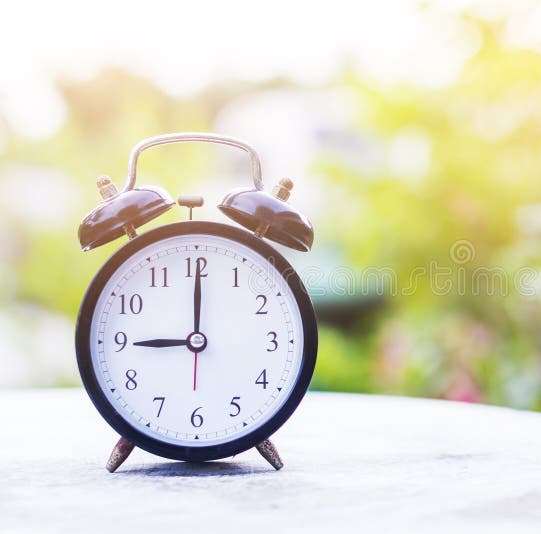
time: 9:00
